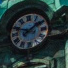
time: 1:47
